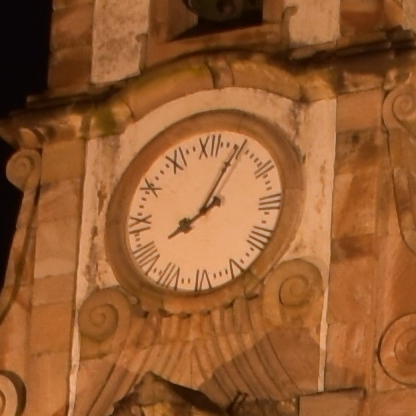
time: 8:04
